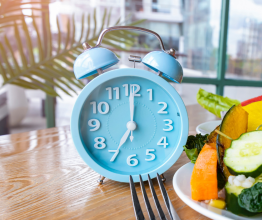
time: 7:00
